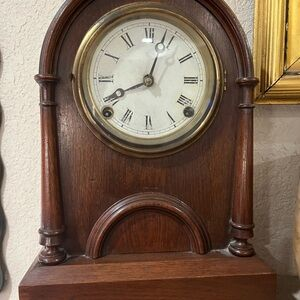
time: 12:41
